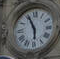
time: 5:55
